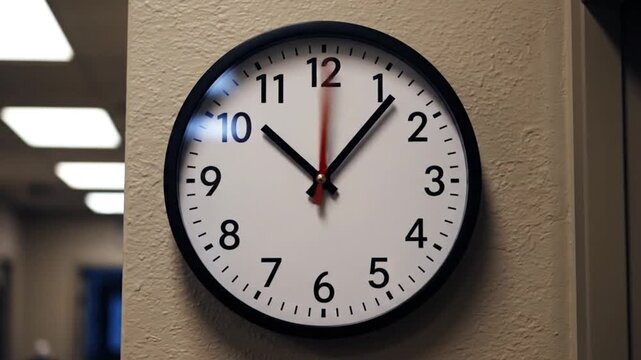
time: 10:06
